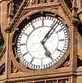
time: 5:06
